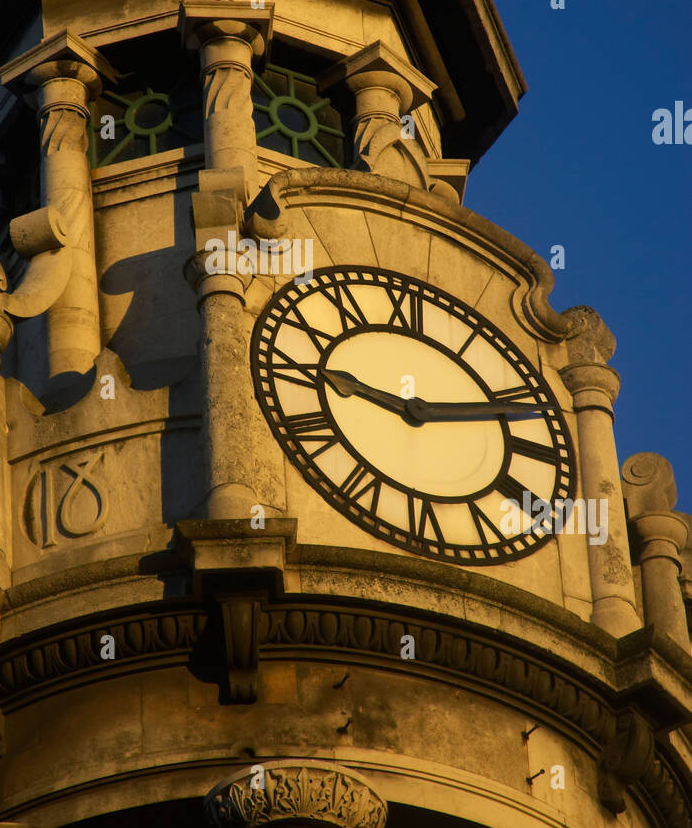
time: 9:12
